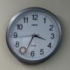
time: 3:33
